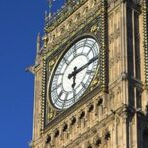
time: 6:15
